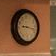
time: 9:17
